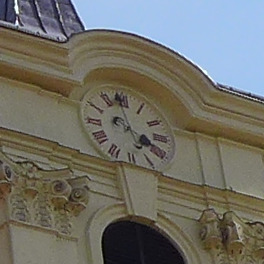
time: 3:58
